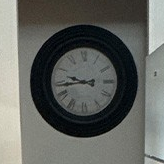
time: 9:43
